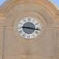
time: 9:16
